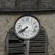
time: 7:40
